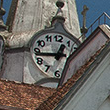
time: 12:43
